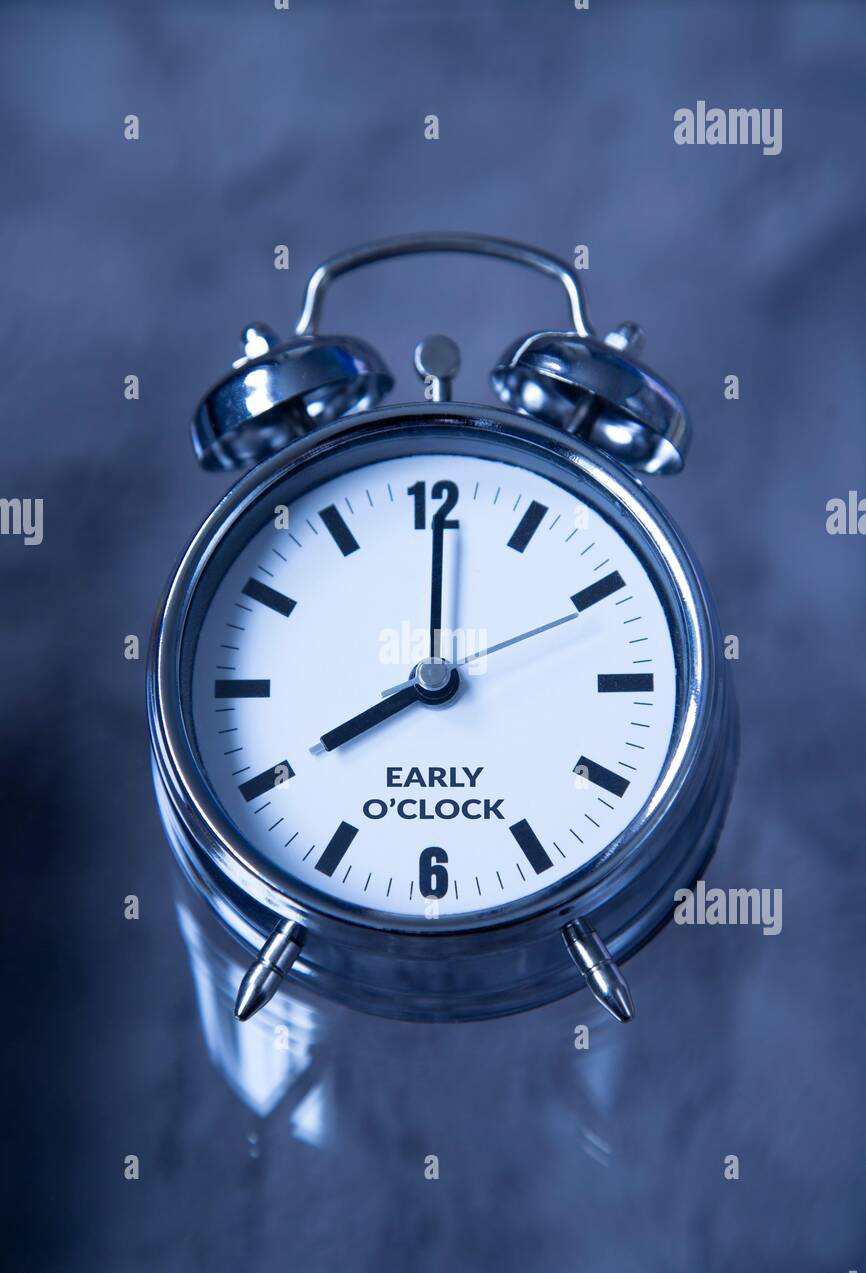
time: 8:00
